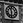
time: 11:31
